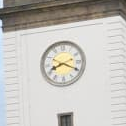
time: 8:19
